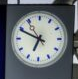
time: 6:49
